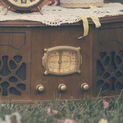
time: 5:59
